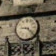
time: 9:22
